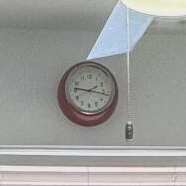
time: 9:16
